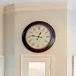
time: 12:46
